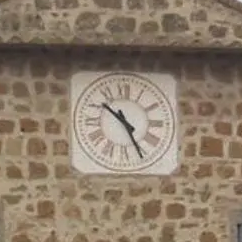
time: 10:25
